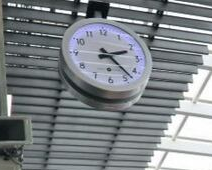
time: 2:23
